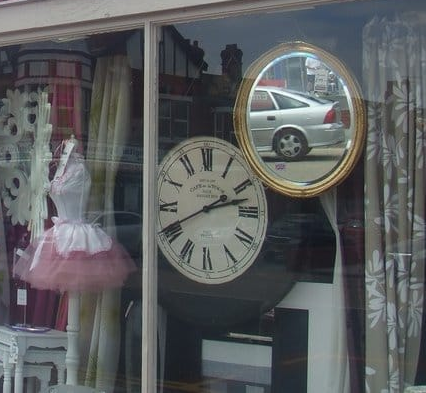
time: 2:12
